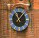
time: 12:07
